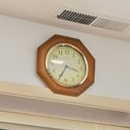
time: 3:34
